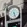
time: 5:26
